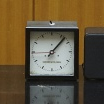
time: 1:06
